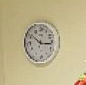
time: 2:50
